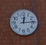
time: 12:14
